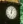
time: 12:04
